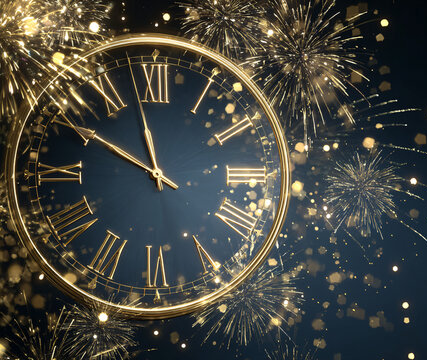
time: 11:49
